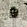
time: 12:12
